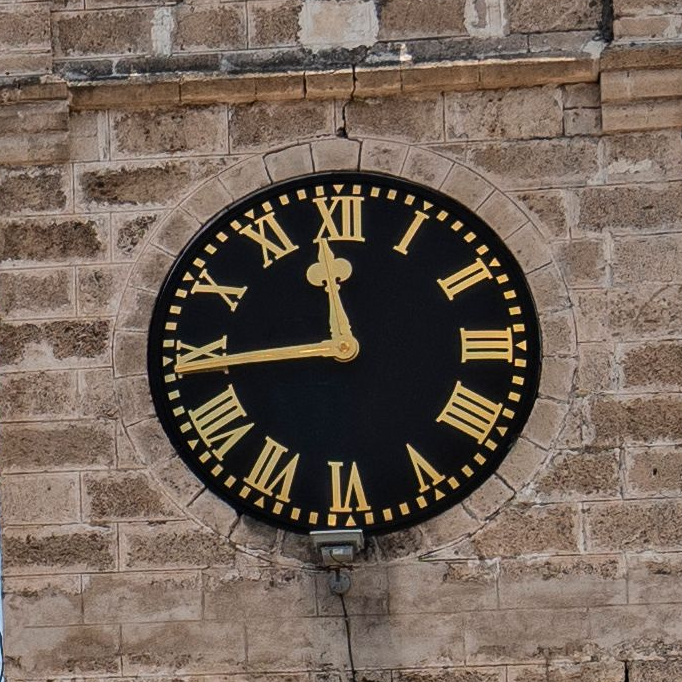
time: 11:44
